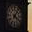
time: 4:06
